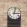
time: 3:02
